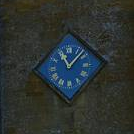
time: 11:07
